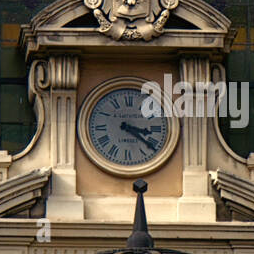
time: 3:21
